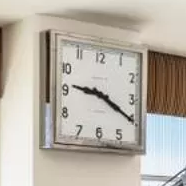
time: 9:20
